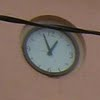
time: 12:56
